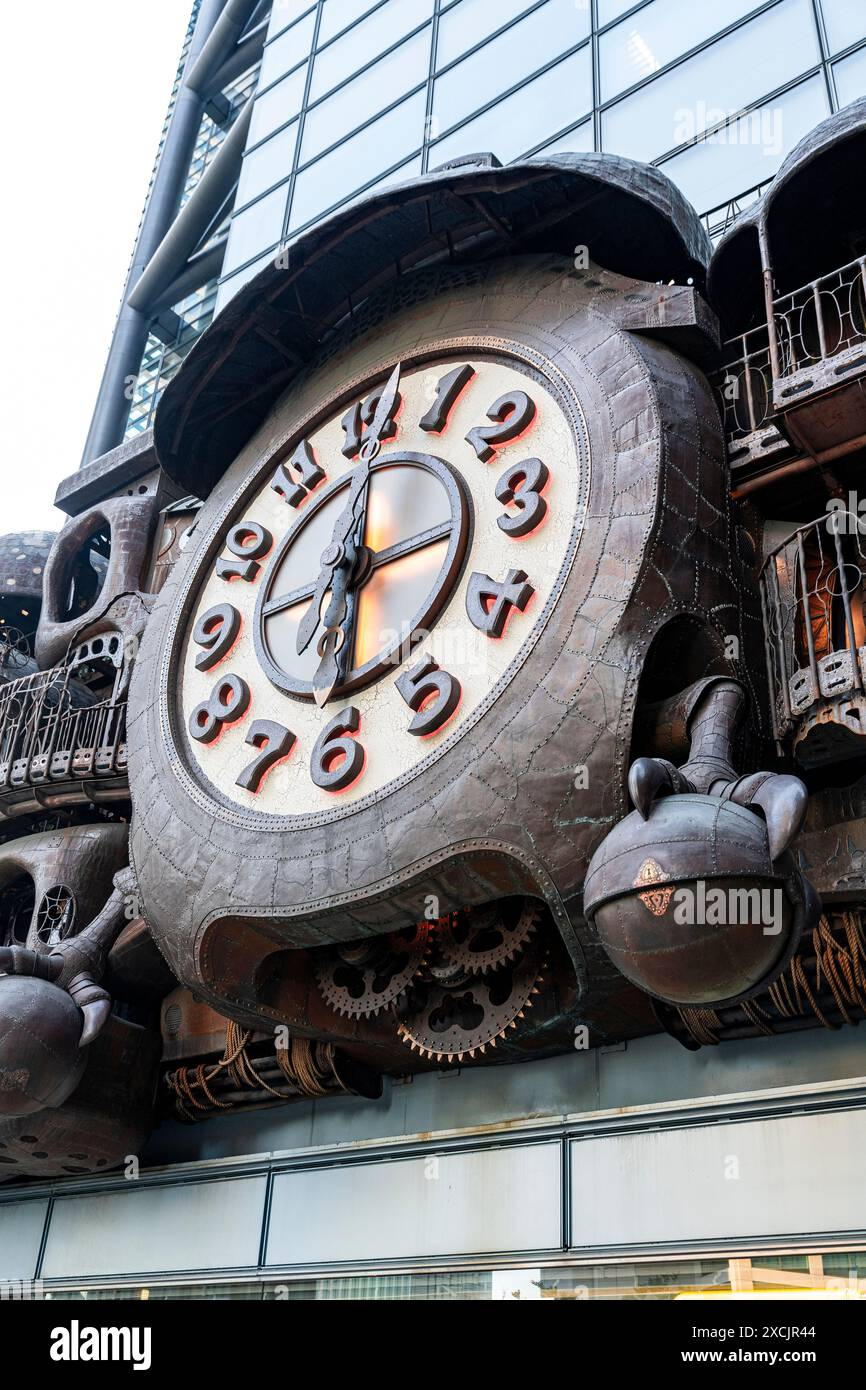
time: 6:00
